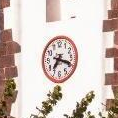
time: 7:18
